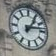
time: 1:13
